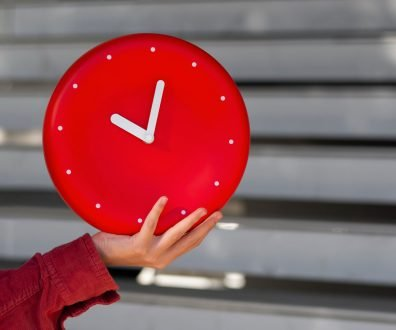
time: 10:01
